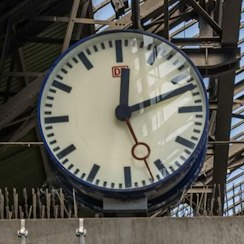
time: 12:12
